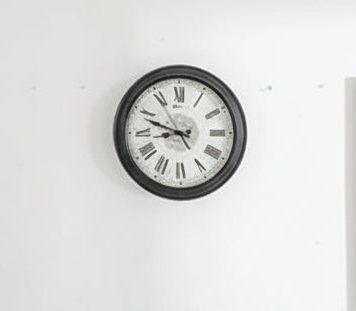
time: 8:48
